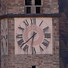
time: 7:31
